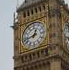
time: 12:42
